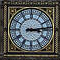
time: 3:13
